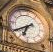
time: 6:40
